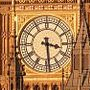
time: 3:29
